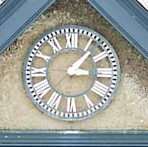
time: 3:06
